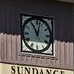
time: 11:02
